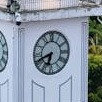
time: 6:41
